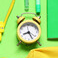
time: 8:25
